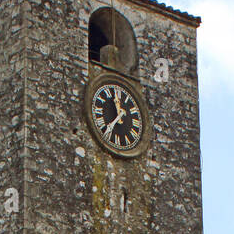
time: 11:37
